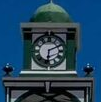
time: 6:10
